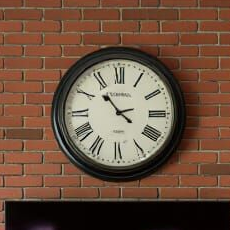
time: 3:53
